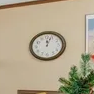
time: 12:03
